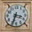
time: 3:33
